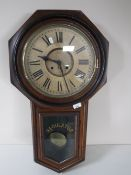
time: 9:26
